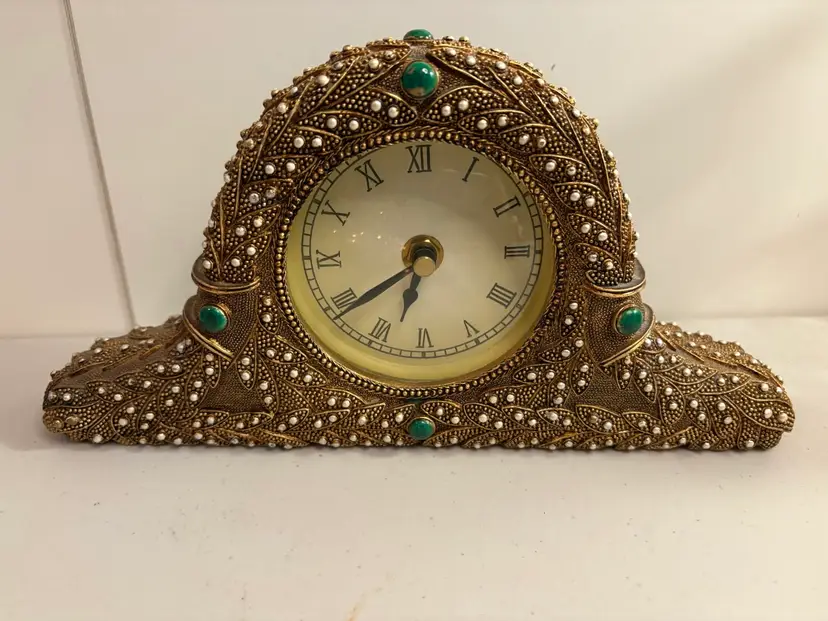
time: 6:39
